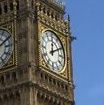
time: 12:09
